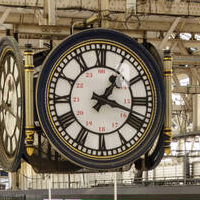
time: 1:18
